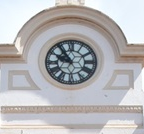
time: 9:54
